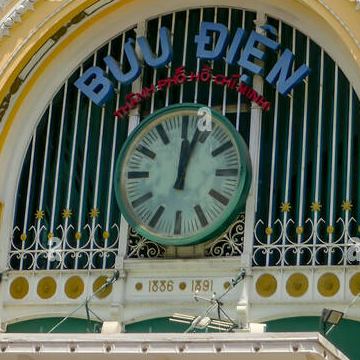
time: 12:03
